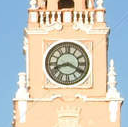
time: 8:19
